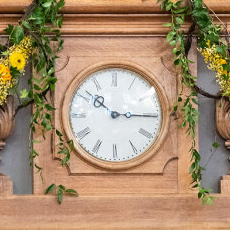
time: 10:15
